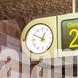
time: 12:49
